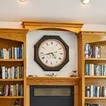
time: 4:42
